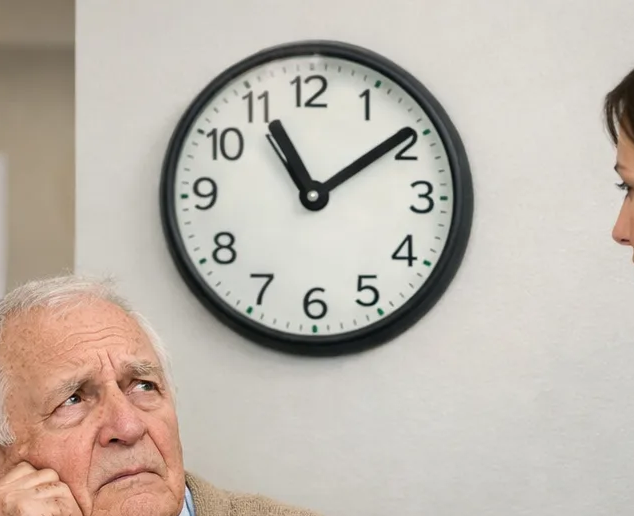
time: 11:09
